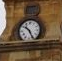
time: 10:25
